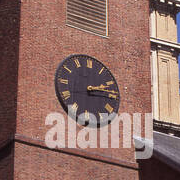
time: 2:14
